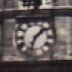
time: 1:33
